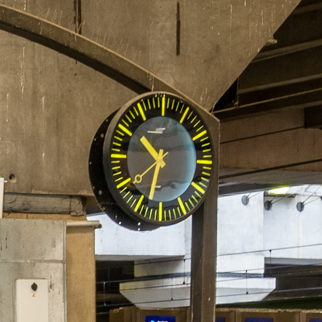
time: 10:32
